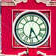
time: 6:24
